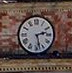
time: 2:27
